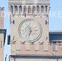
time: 11:32
